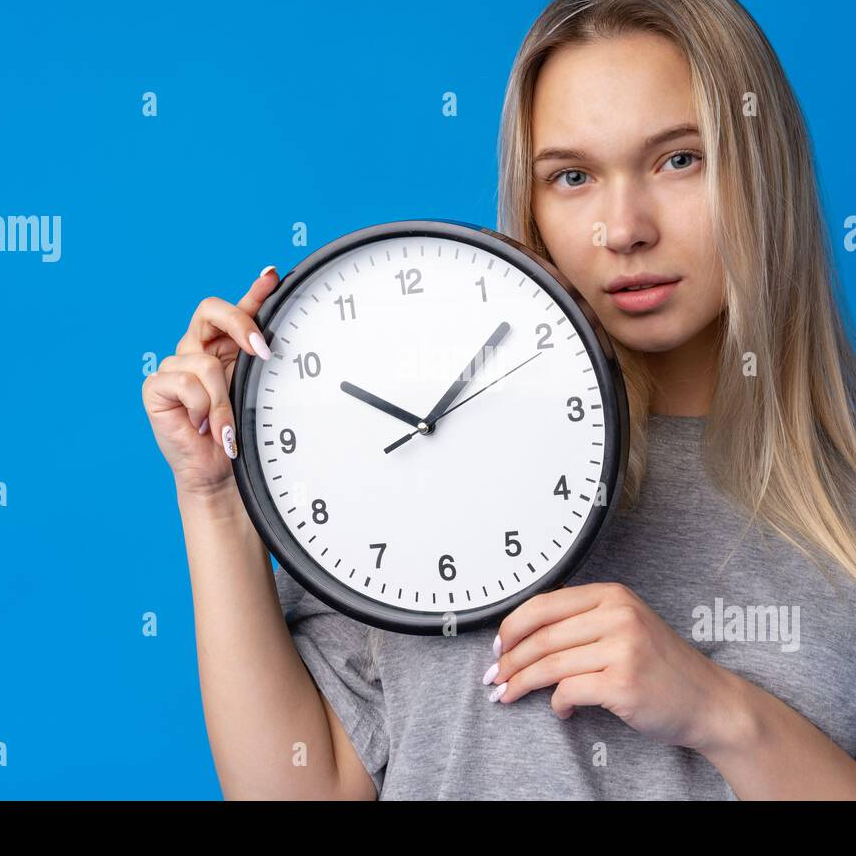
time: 10:07
